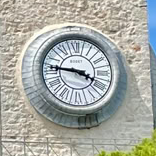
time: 3:46
